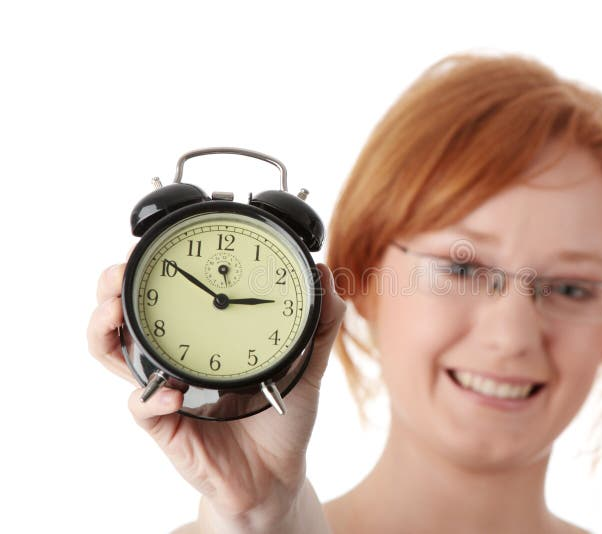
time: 2:50
